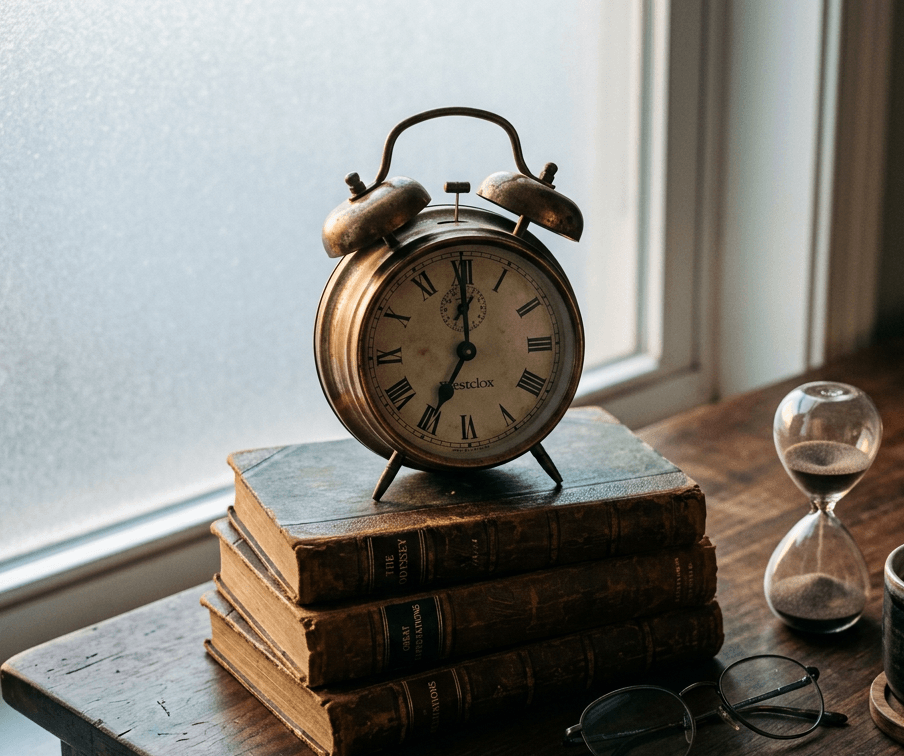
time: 7:00
